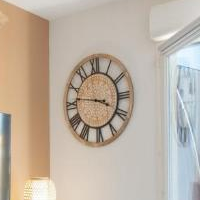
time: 3:46
